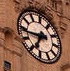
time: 6:43
